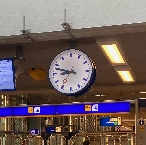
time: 8:47
